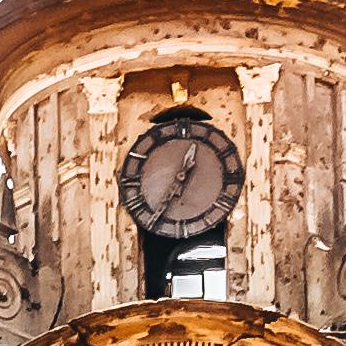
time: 12:34
